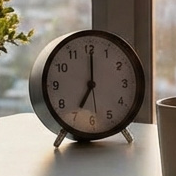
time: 7:00
